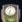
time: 6:32
